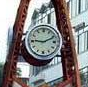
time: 9:11
